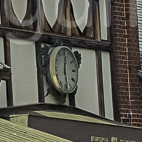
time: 12:28
